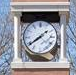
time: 1:38
